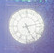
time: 5:12
